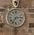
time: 7:13
